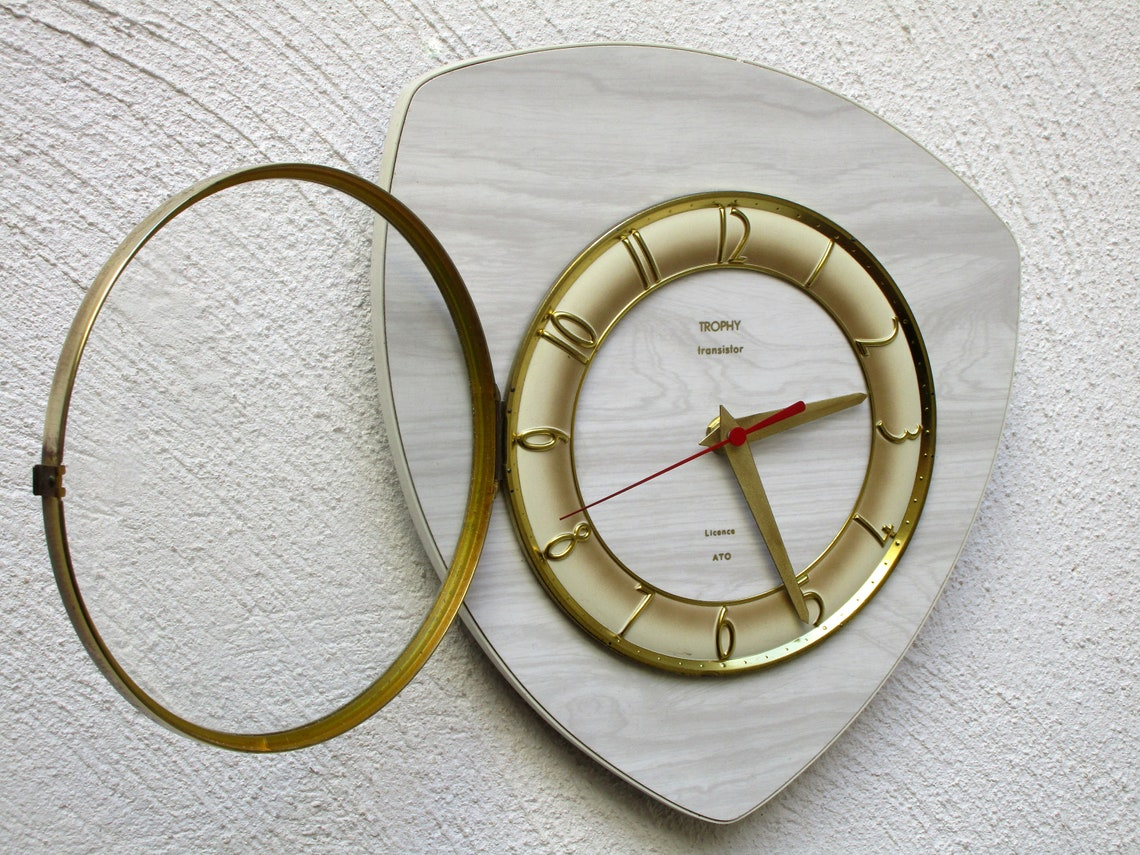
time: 2:25
